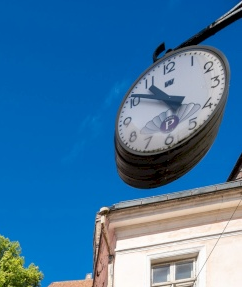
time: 10:51
